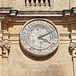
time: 4:09
